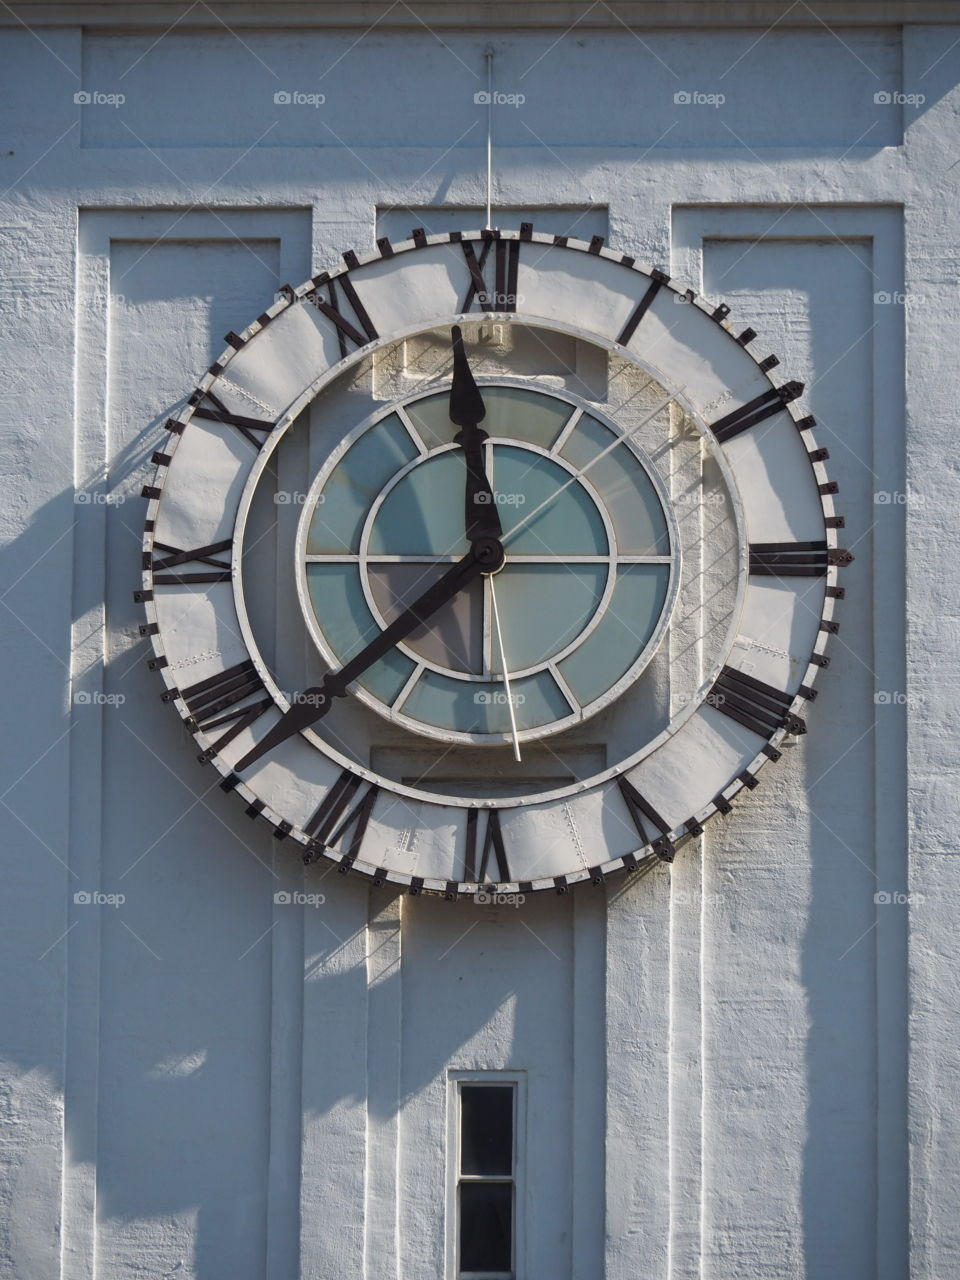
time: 11:38
